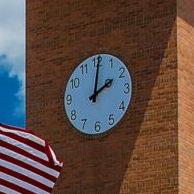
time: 2:01
